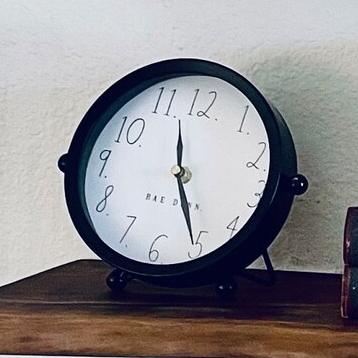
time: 11:25
